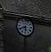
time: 5:40
